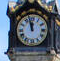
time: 11:57
